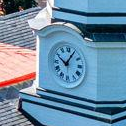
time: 10:05
